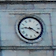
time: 9:20
